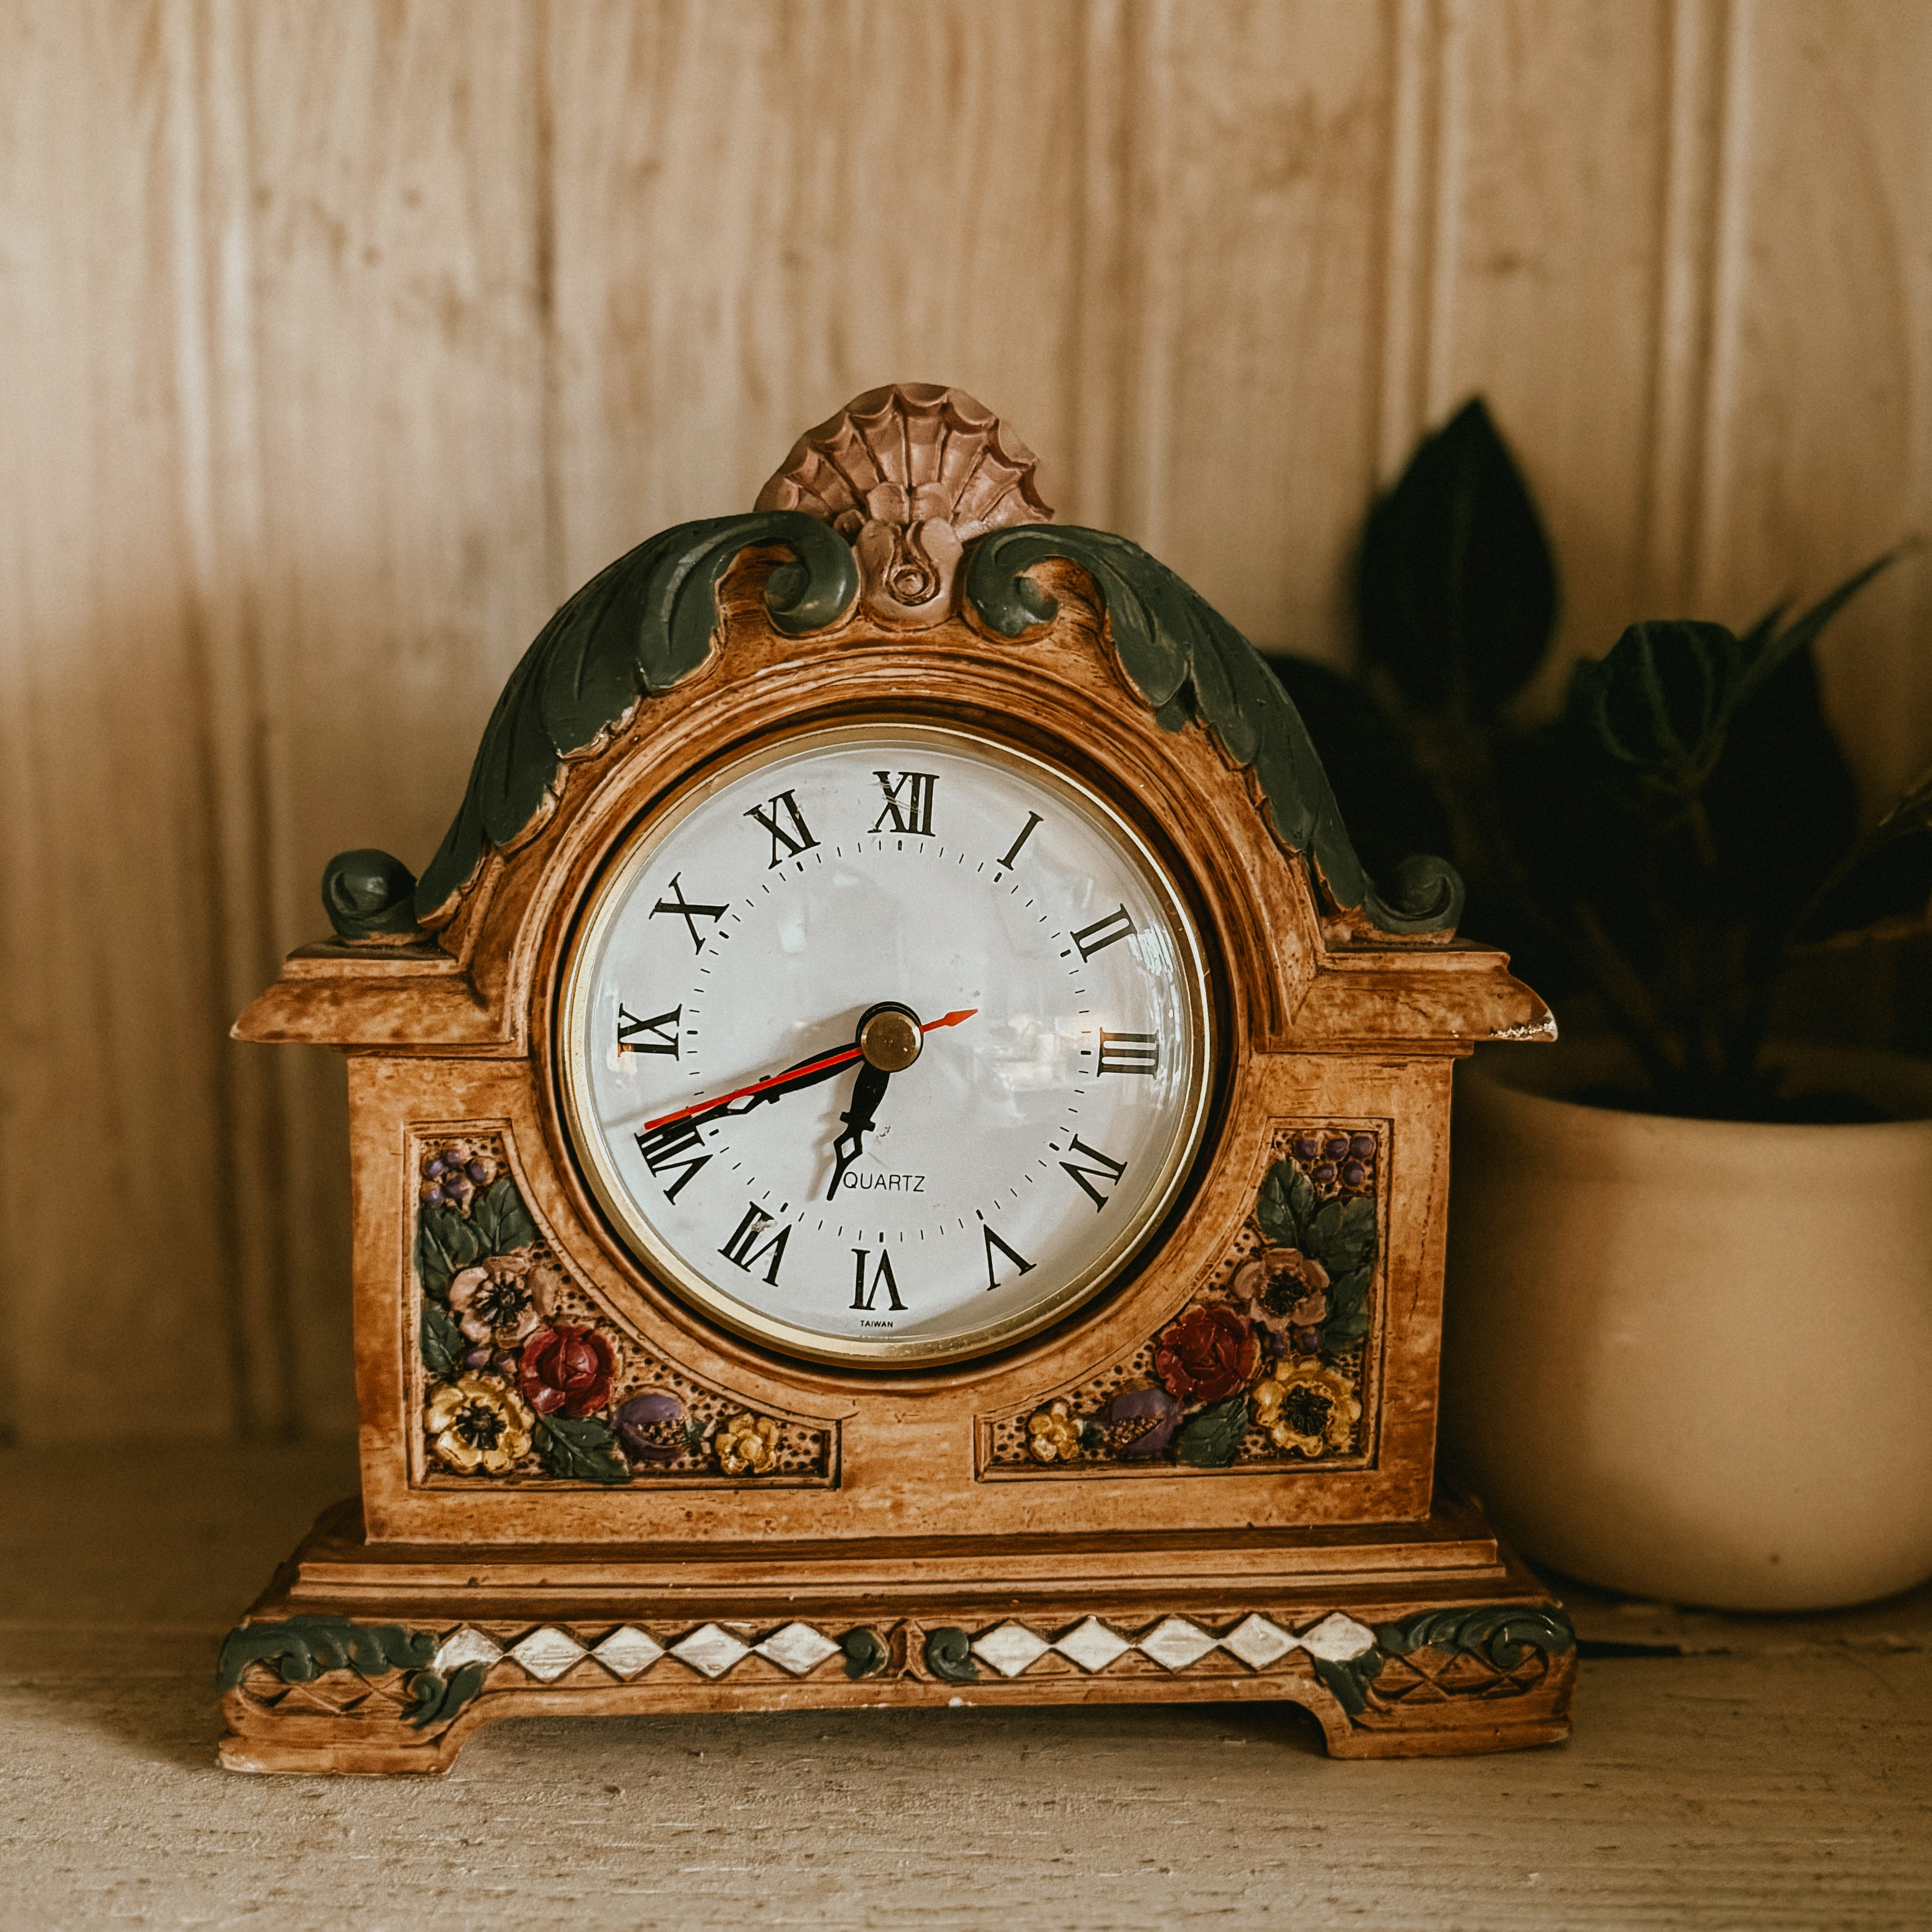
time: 6:40
